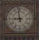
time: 8:58
